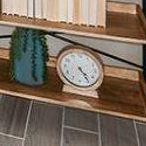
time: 4:23
